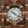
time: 10:22
